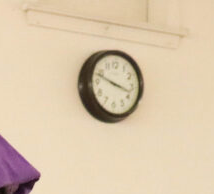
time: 3:48
